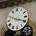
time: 3:49
